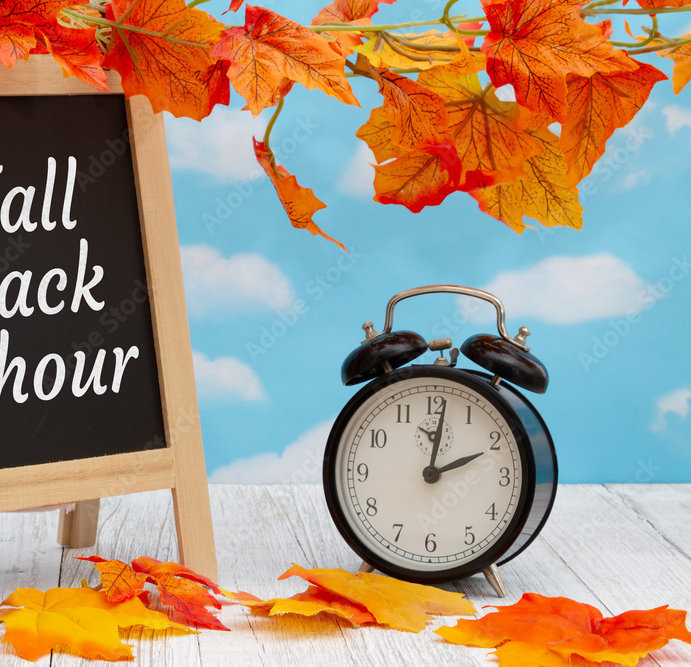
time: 2:01
